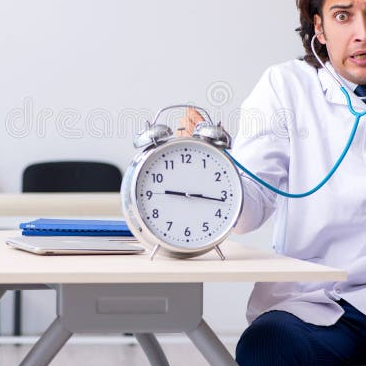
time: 9:16
